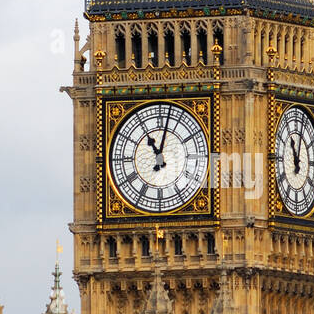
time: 11:02
